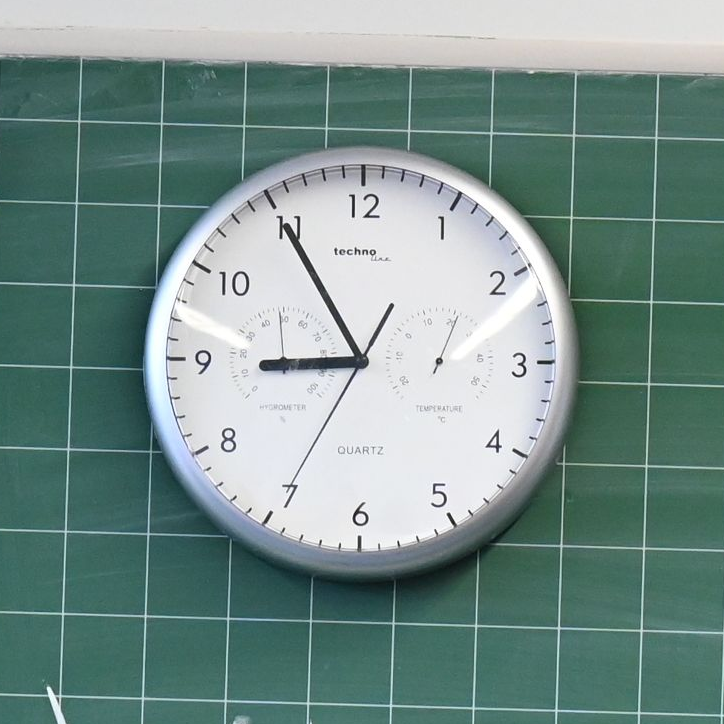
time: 8:54
